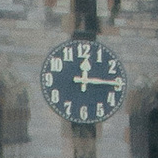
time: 12:15
